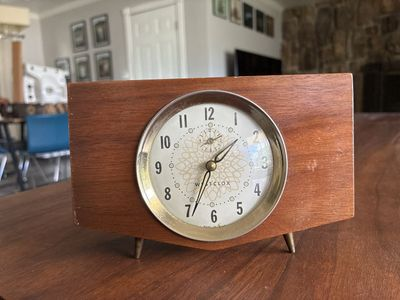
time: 1:33
